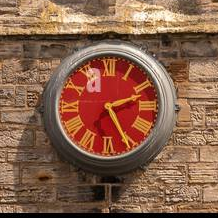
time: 2:25
